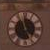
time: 4:57
